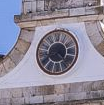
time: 8:21
